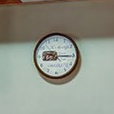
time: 9:15
